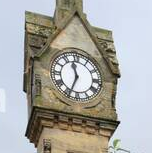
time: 11:33
